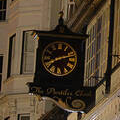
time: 8:12
